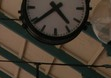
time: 4:38
